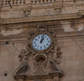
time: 1:02
